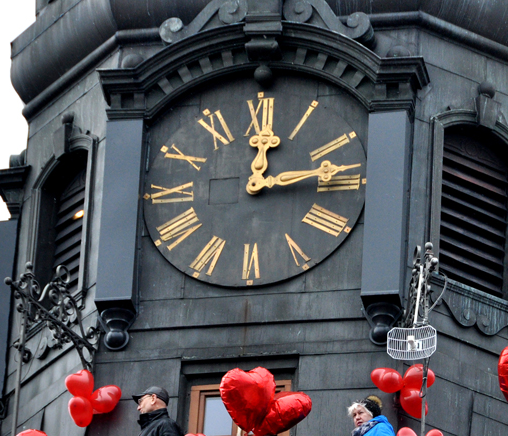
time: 12:13
